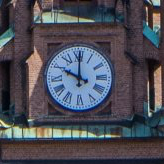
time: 10:00
